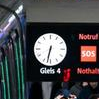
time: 6:32
